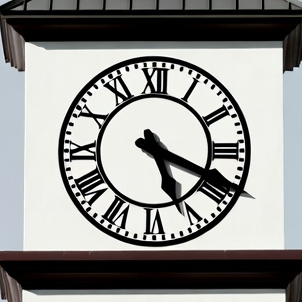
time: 5:18
